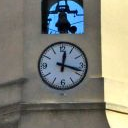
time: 12:18
